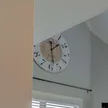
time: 1:28
